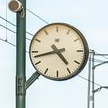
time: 4:42
